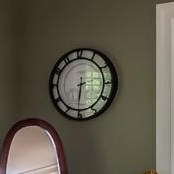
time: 6:31
